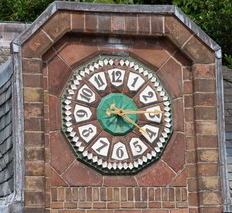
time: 3:22
